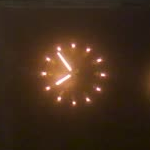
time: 7:53
